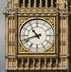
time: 10:42
